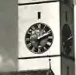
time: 6:10
